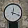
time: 12:18
